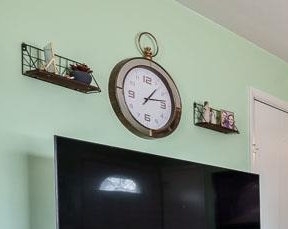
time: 1:13
